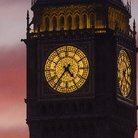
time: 4:36
